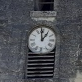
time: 12:58
